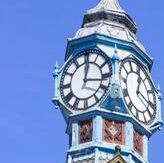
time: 12:16
